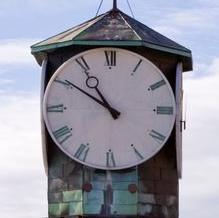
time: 10:50
